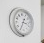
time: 3:34
